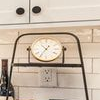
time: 10:35
